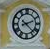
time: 2:22
